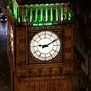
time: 9:10
